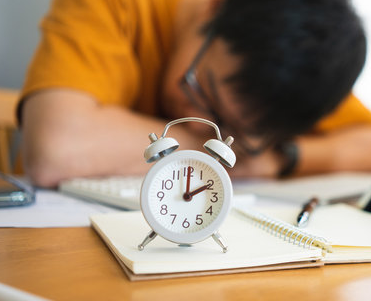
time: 2:00
